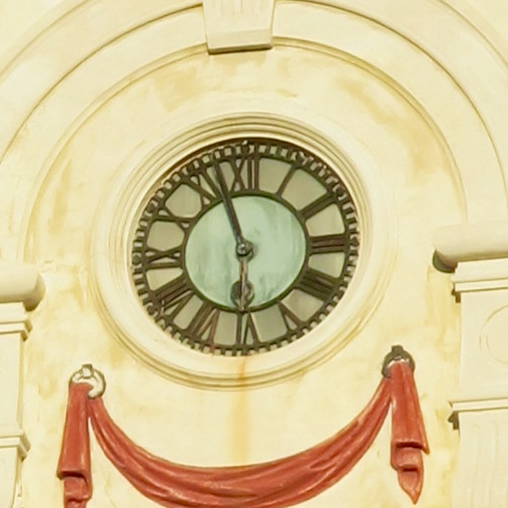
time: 5:57
